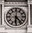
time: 6:23
